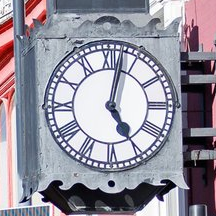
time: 5:02
